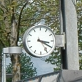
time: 3:20
